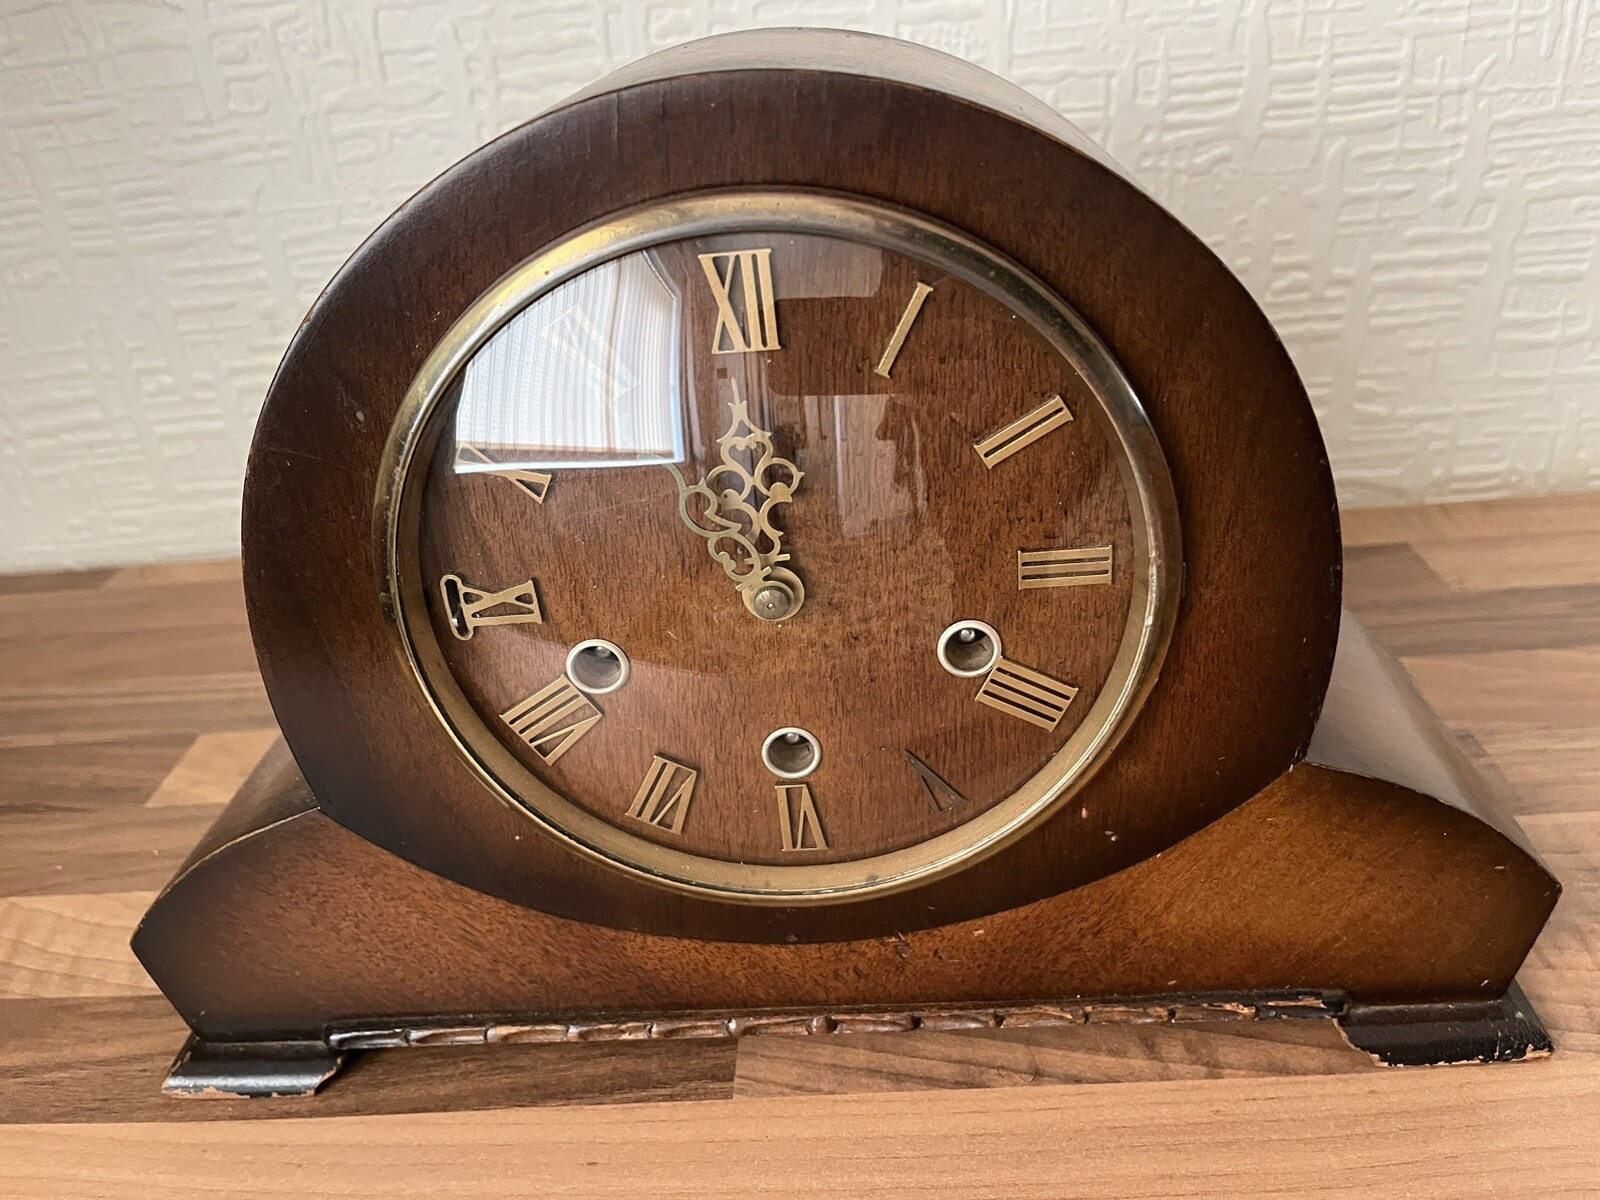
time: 11:45
